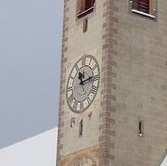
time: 11:13
